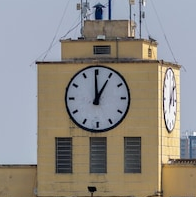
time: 12:59
